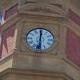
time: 6:00
